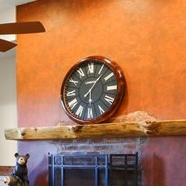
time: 6:06
